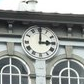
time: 3:00
